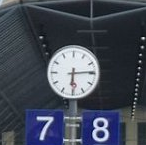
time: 6:14
